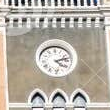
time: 4:12
